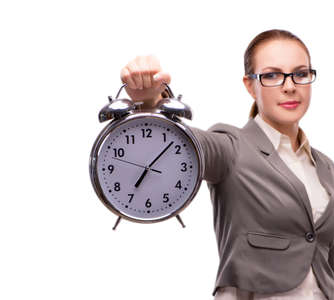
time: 7:07
